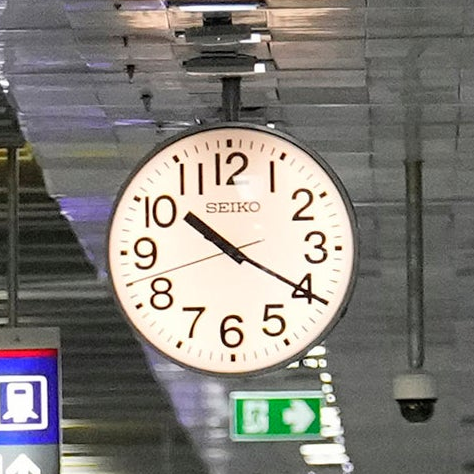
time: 10:20
